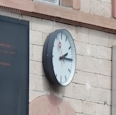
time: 2:15
